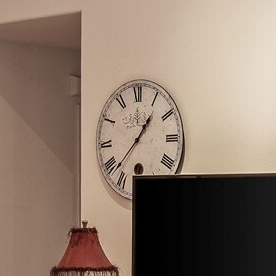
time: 1:37
